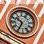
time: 10:34
